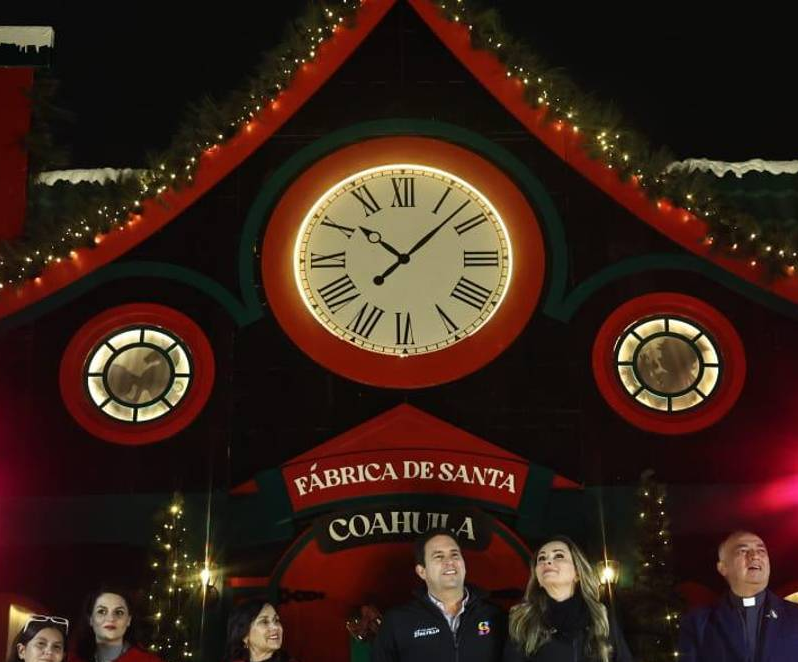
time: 10:07
